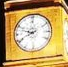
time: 9:40
